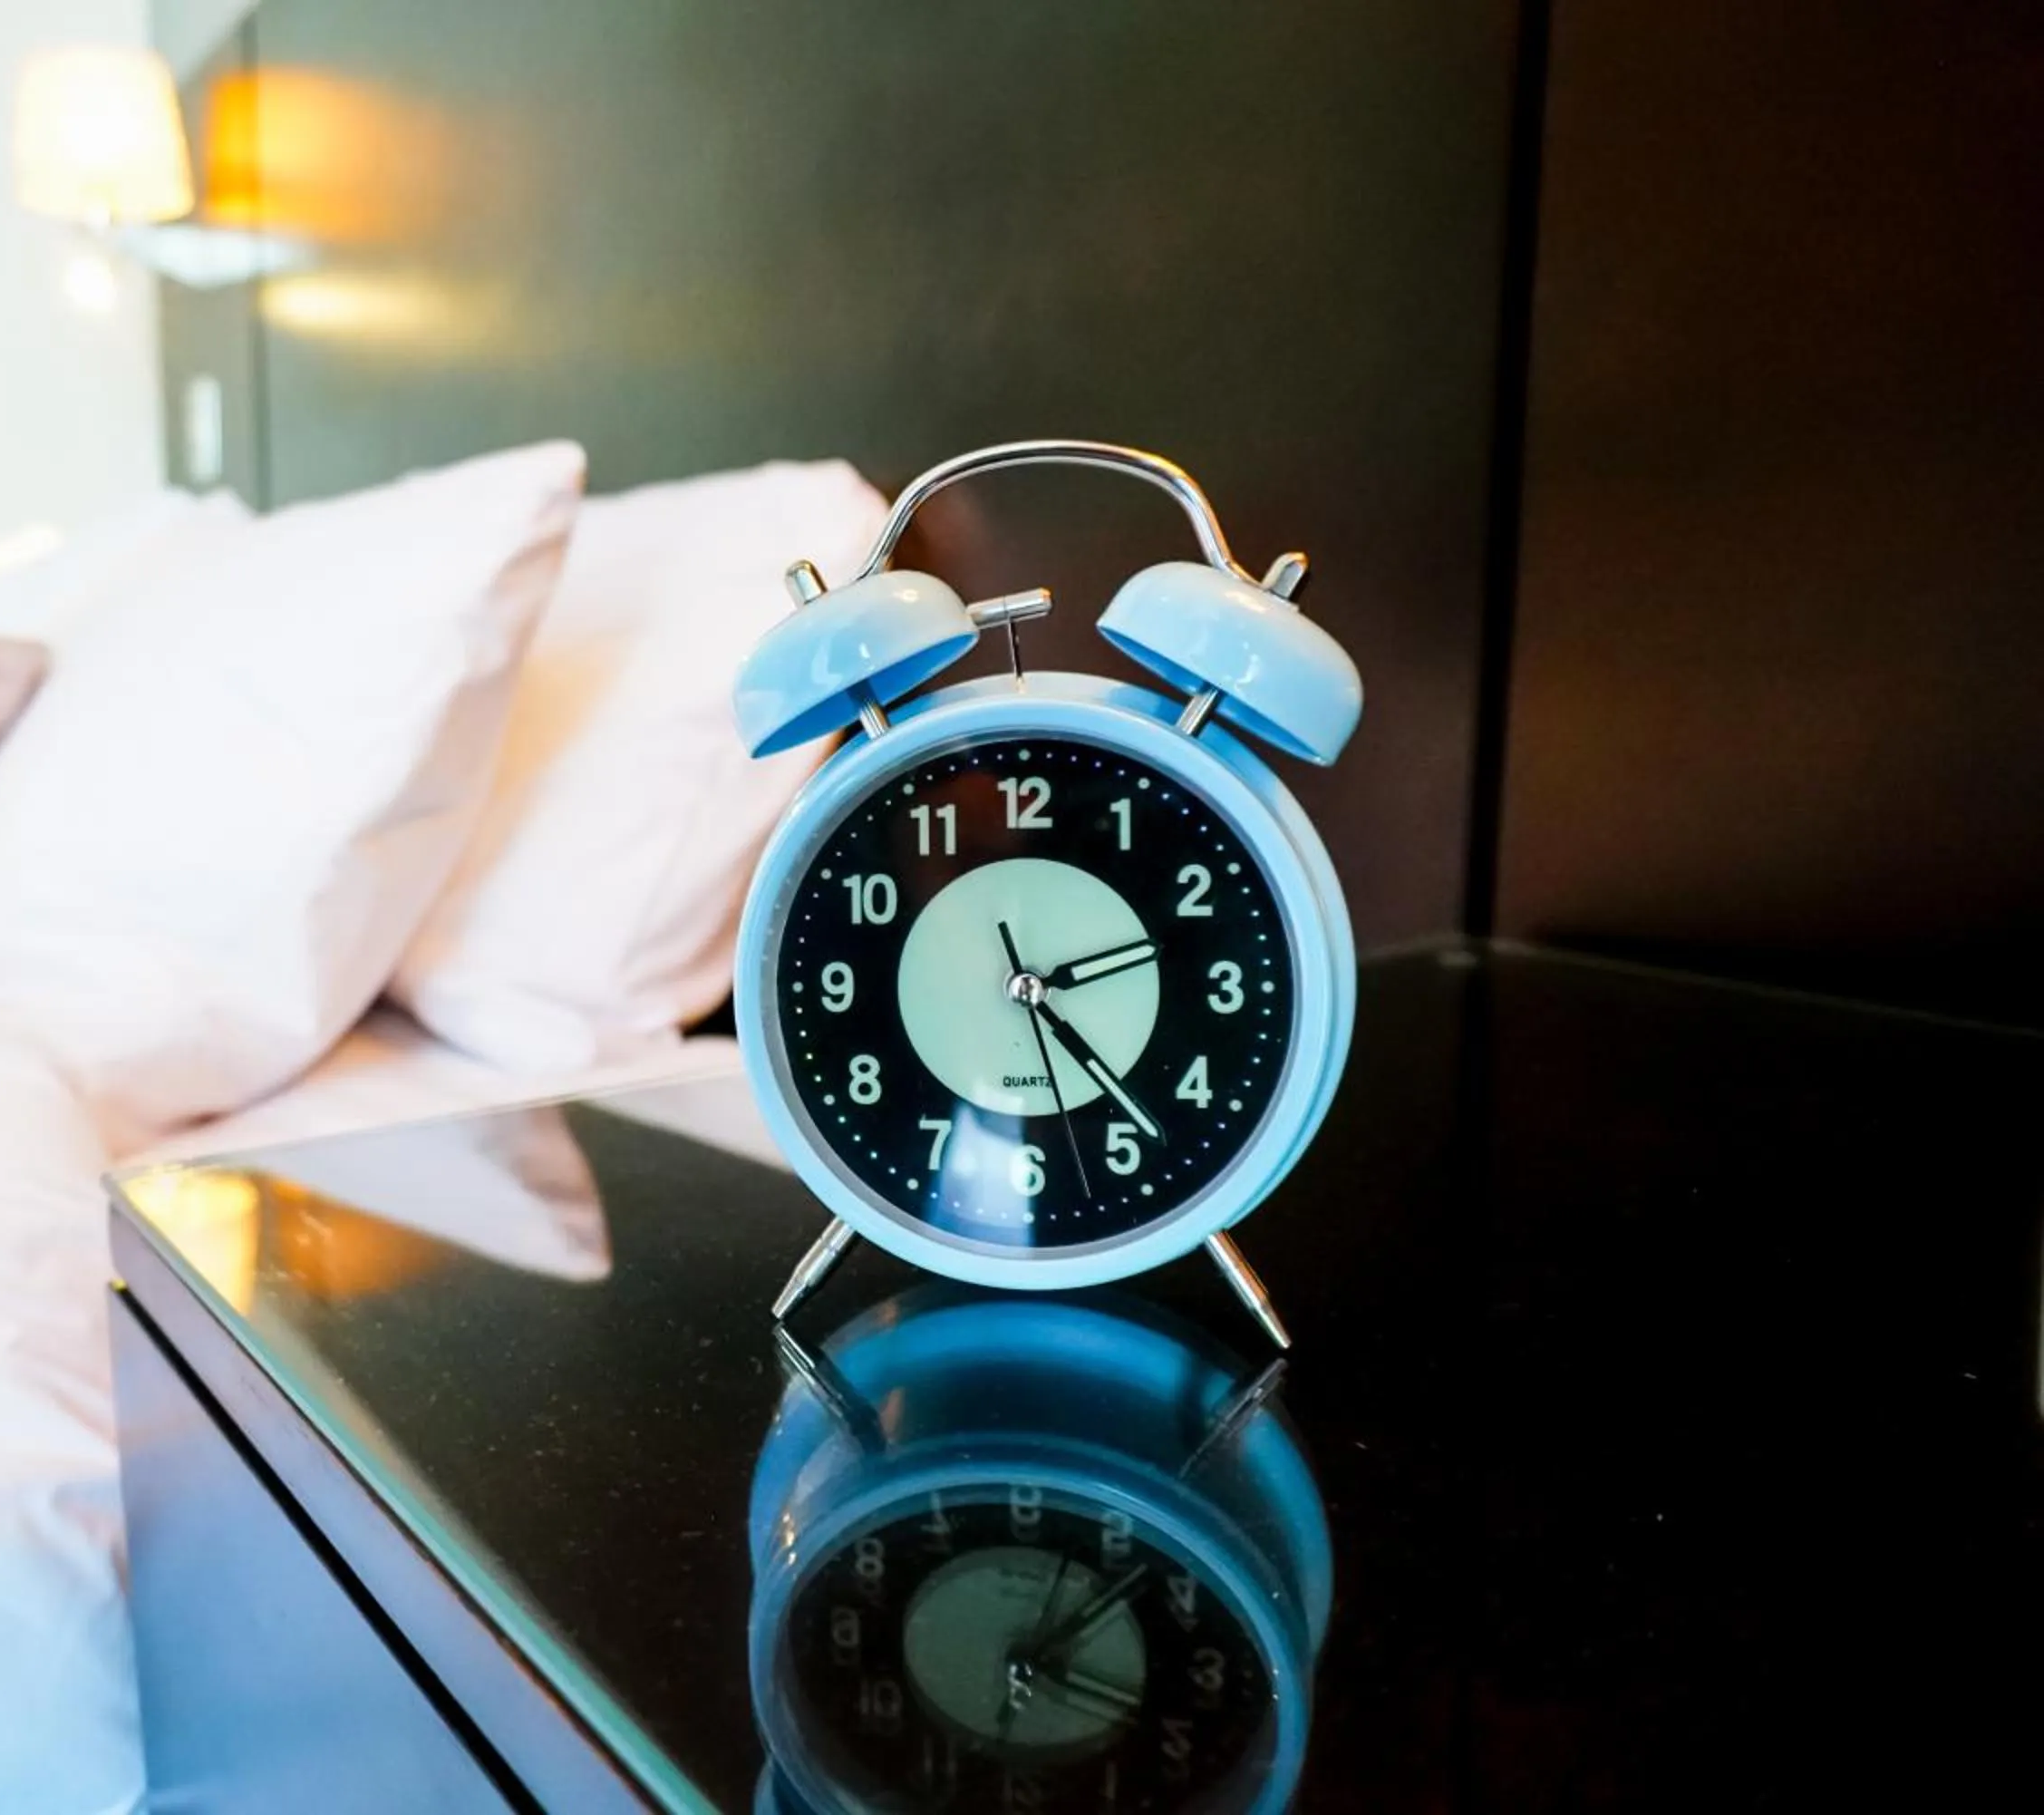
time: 2:23
